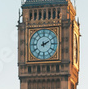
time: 2:10
